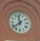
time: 11:38
